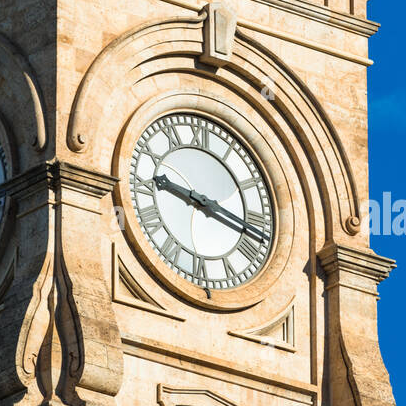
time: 9:17
